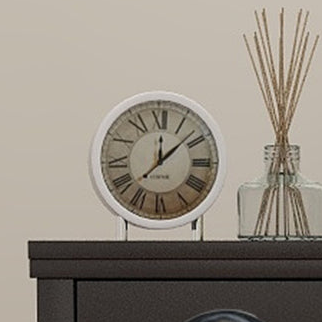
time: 12:07
